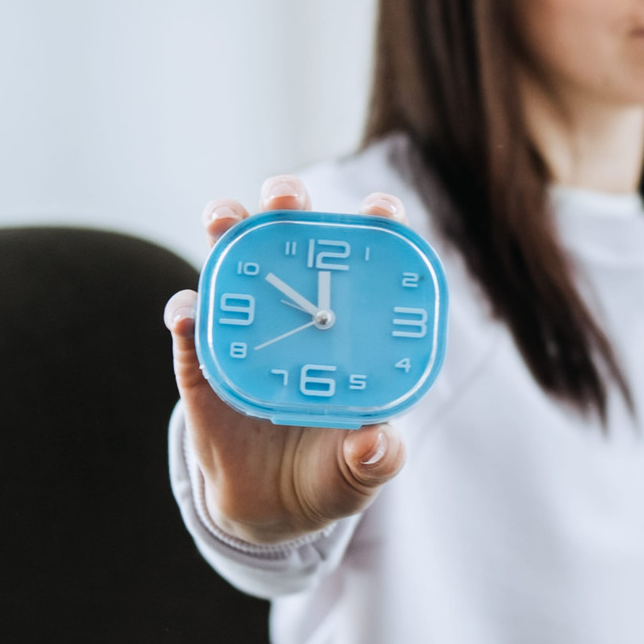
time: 11:50
